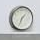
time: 1:33
